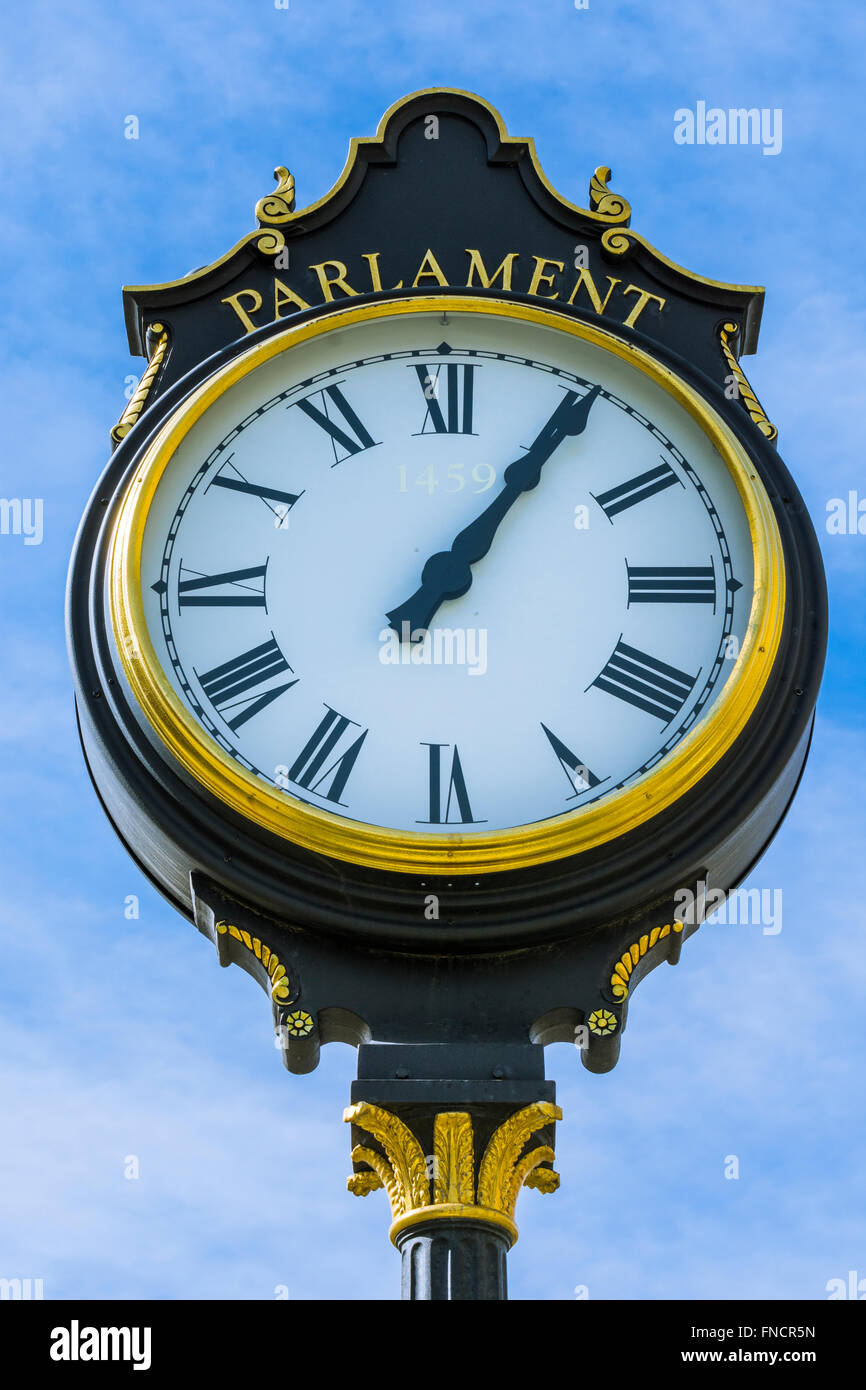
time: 1:05
